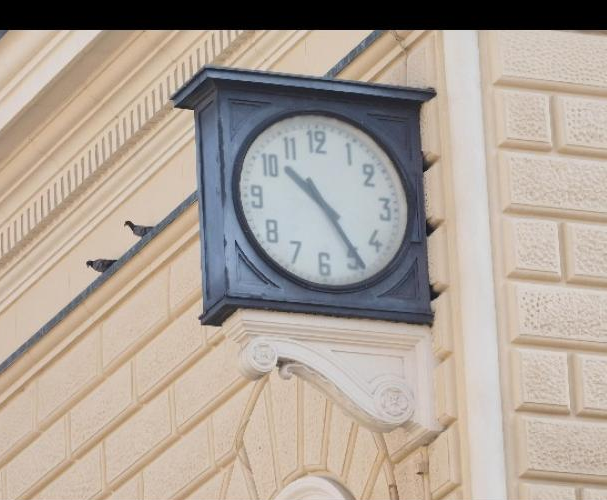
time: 10:24
